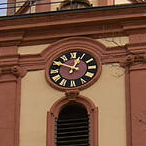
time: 12:49
